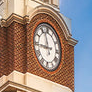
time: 11:44
